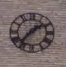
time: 1:36
